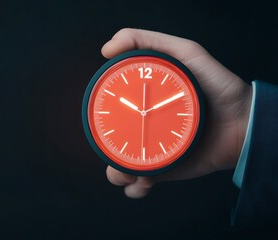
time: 10:10
